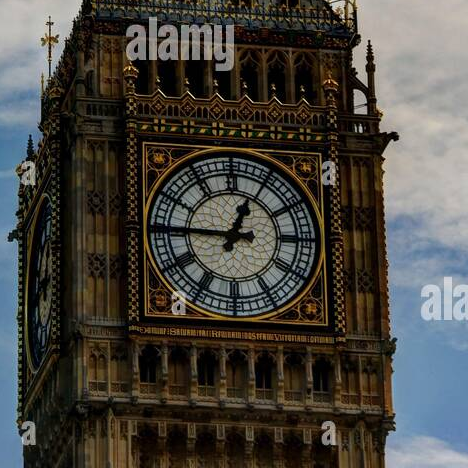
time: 12:45
